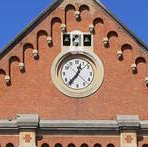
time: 12:36
